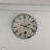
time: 2:18
